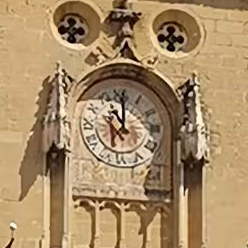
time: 11:00
